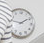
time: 1:46
